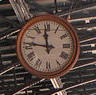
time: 11:46
